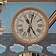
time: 11:02
